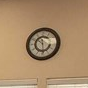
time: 10:28
